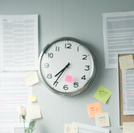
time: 7:35
